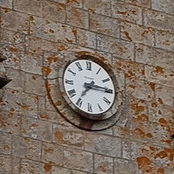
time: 7:15
